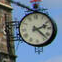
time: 2:22
